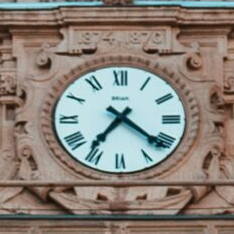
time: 7:21
